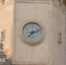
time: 7:11
